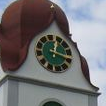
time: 12:17
